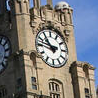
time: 10:47
